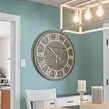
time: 5:51
